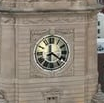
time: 6:21
